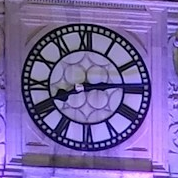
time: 8:14
